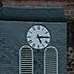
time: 5:14
